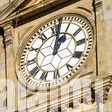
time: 1:01
